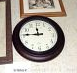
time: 11:45
